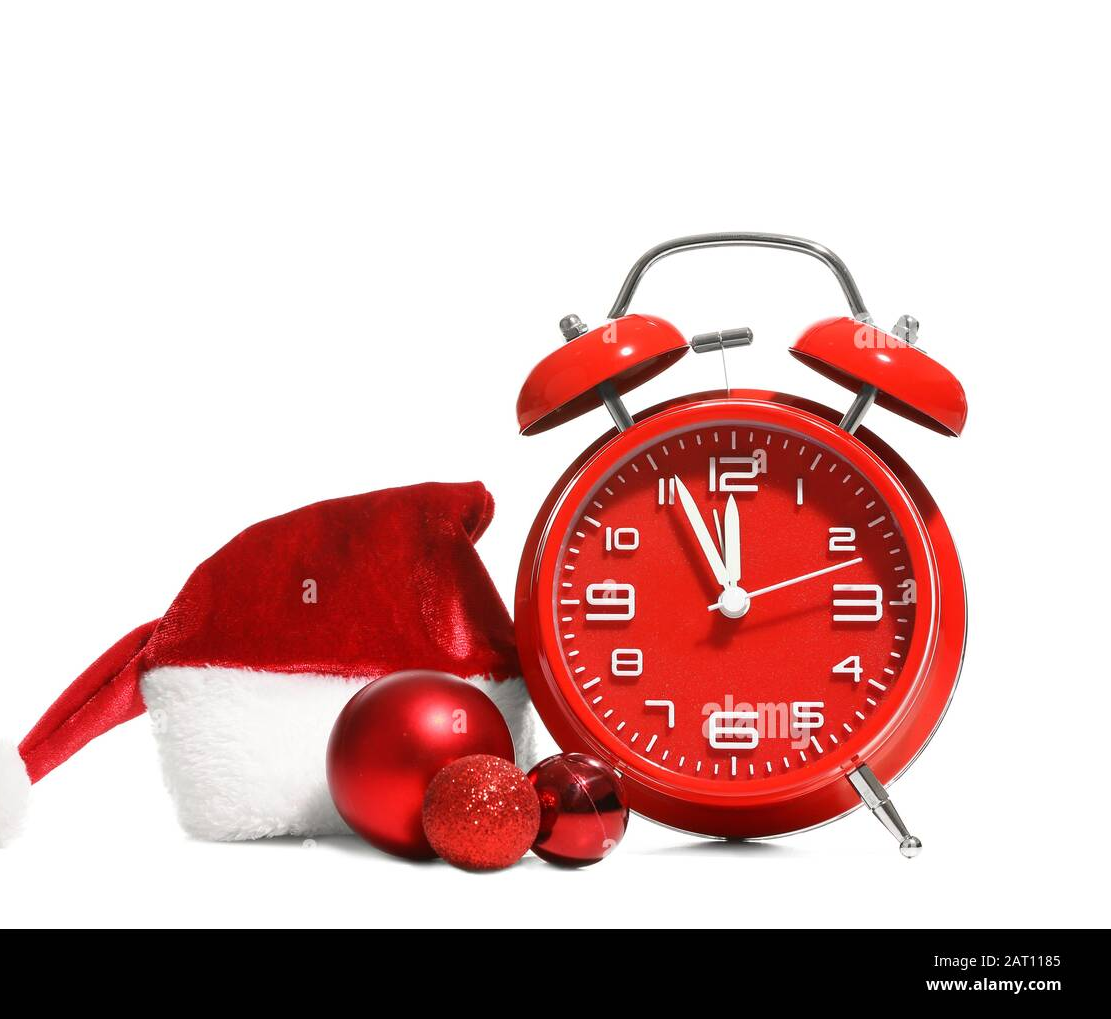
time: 11:55
